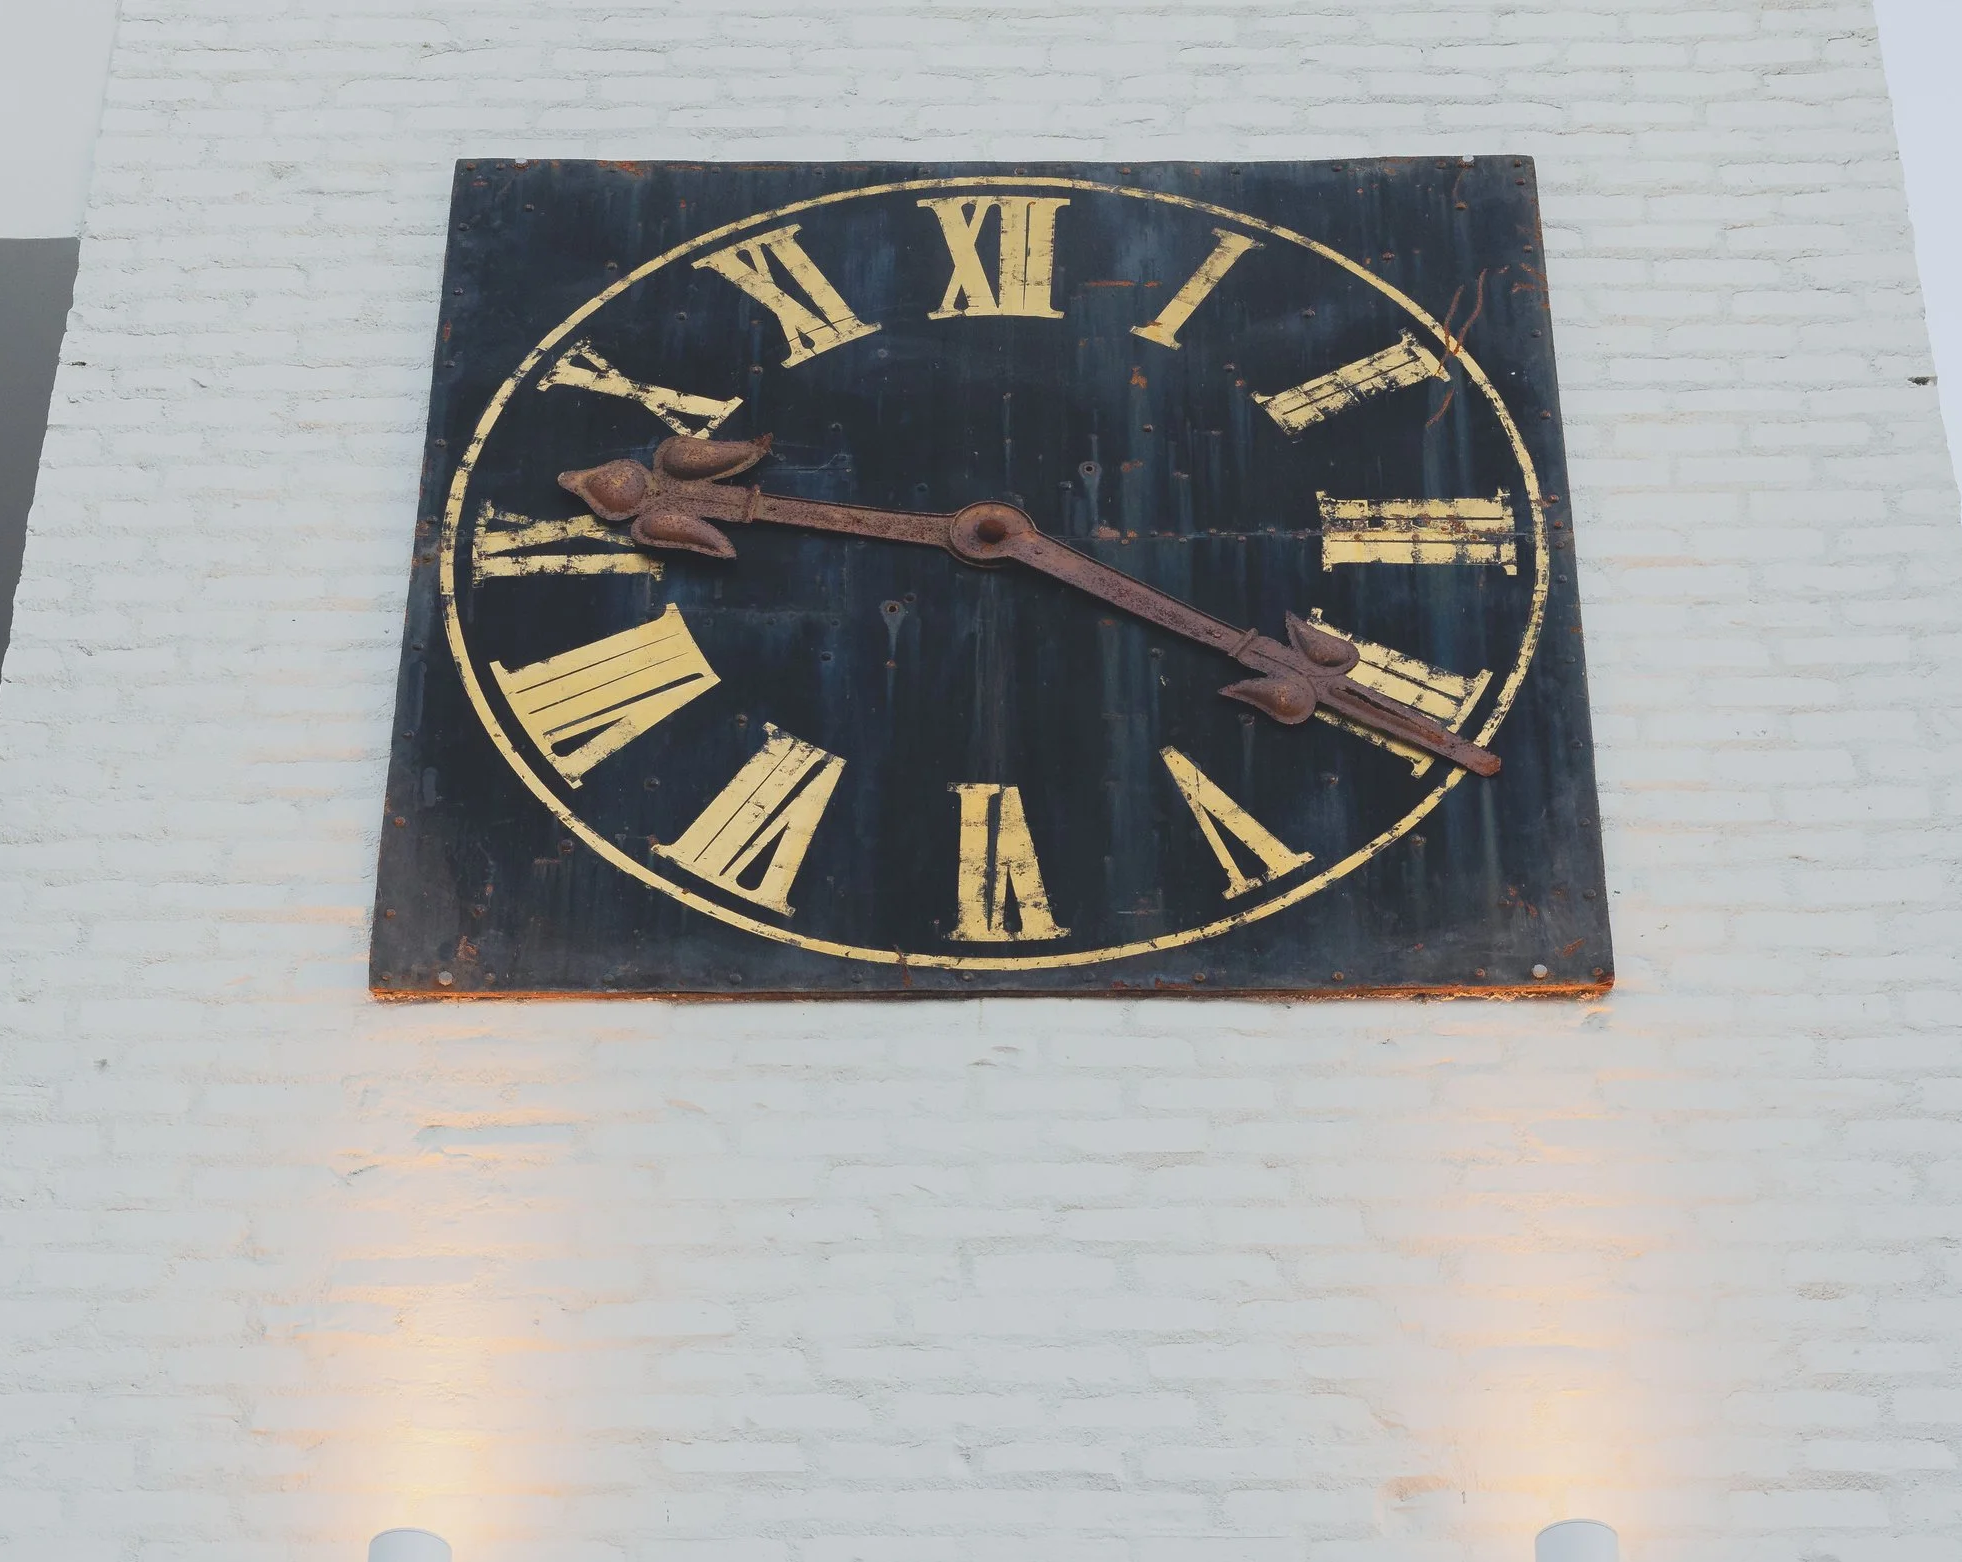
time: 9:20
